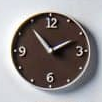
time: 1:53
